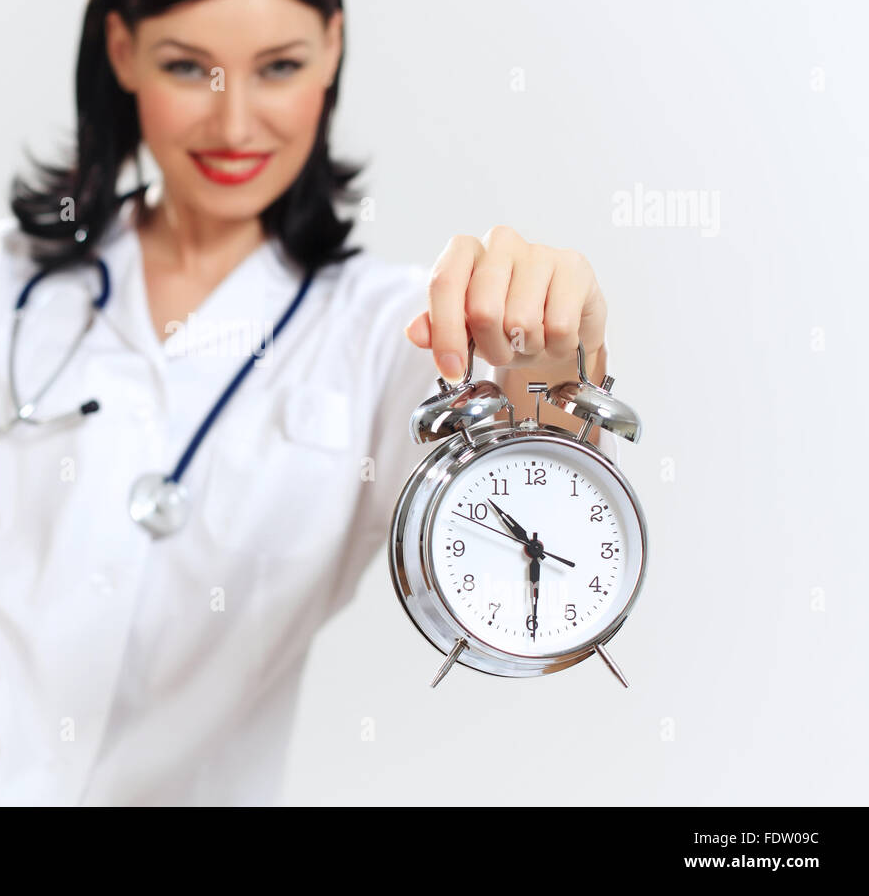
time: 10:29
